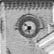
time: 7:52
